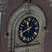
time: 11:40
